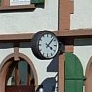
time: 4:07
